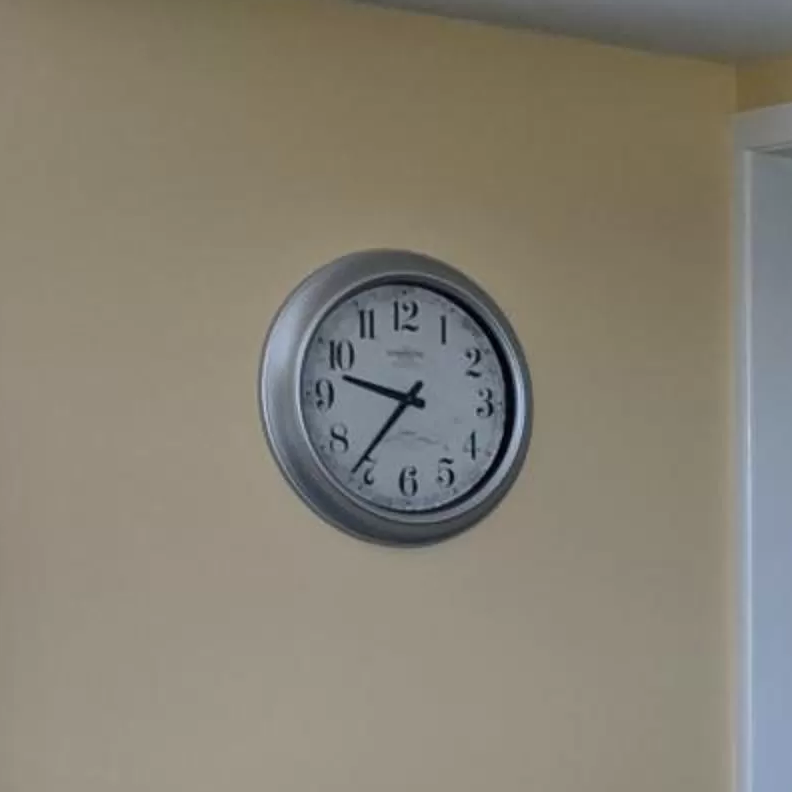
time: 9:36
